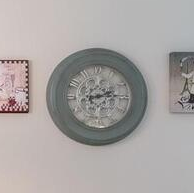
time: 2:14
